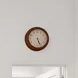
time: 5:26
